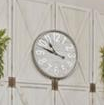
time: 10:48
